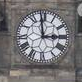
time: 2:58
